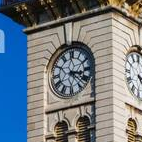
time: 3:22
